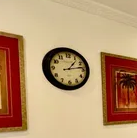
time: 1:13
